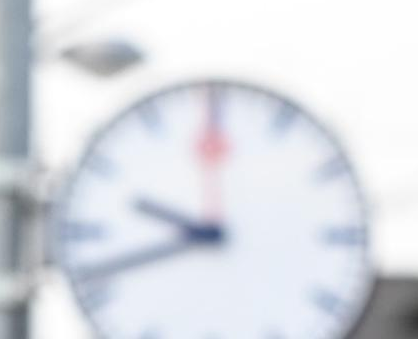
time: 9:41
